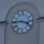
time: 3:45
